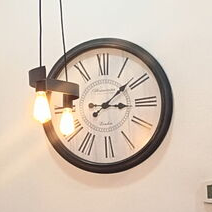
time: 3:08
